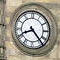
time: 8:23
